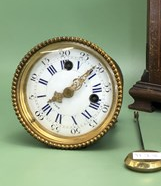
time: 8:08
